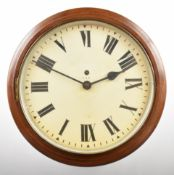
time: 1:49
